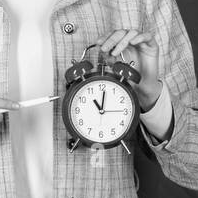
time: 11:01
